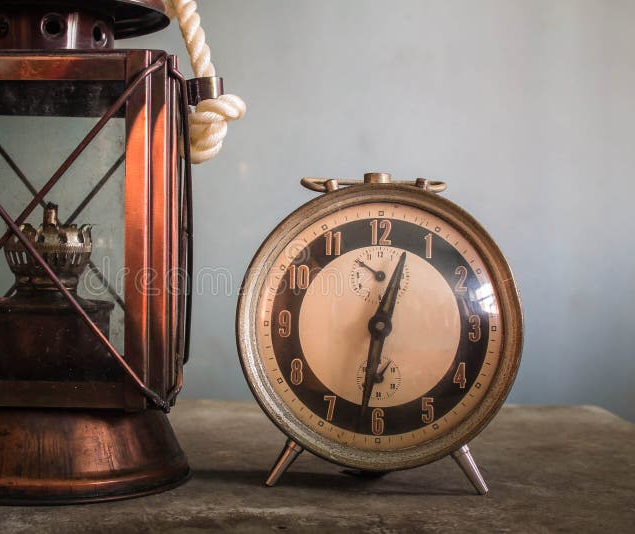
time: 12:31
